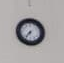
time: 7:36
